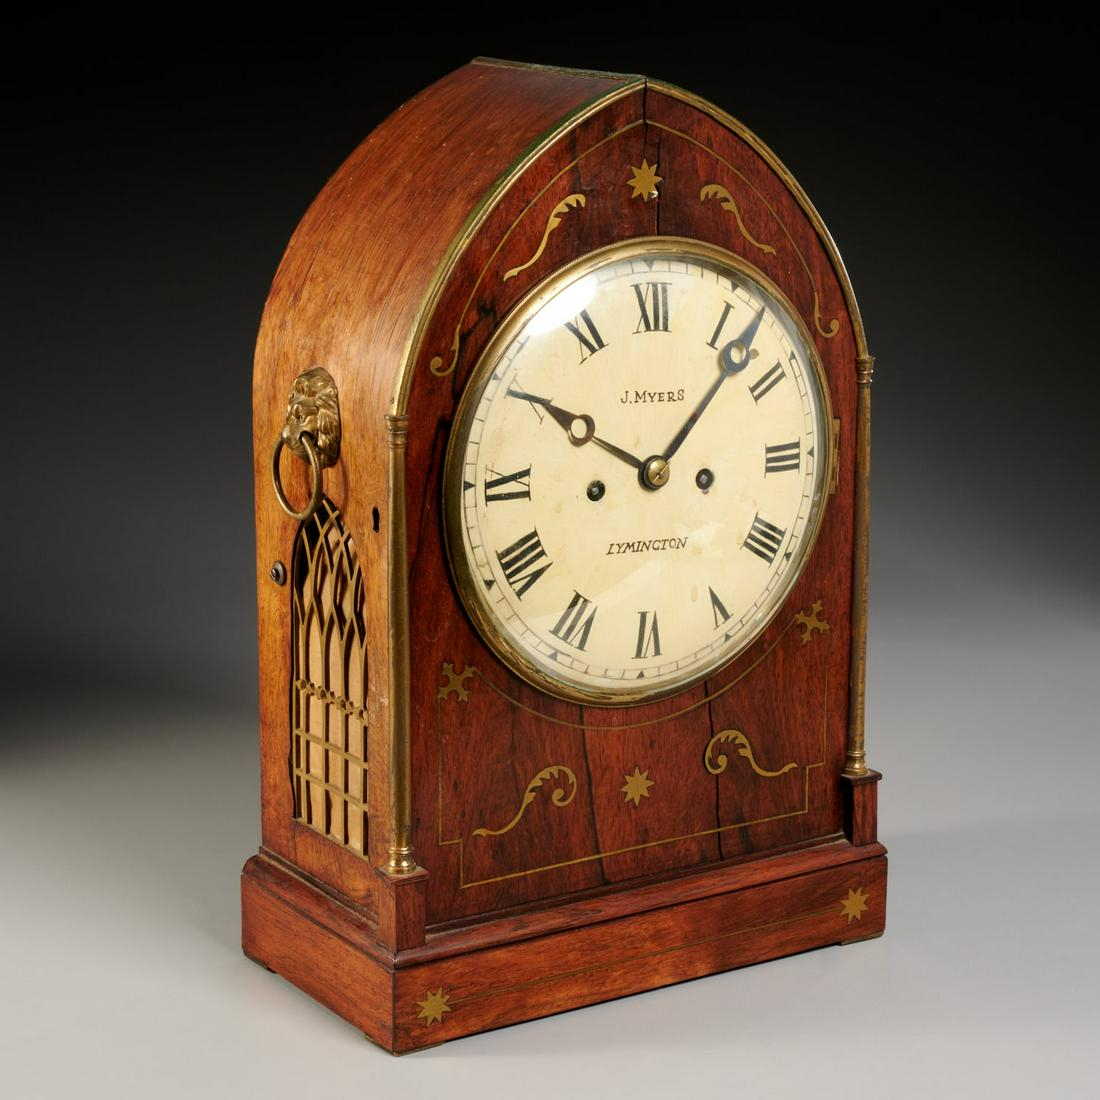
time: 10:07
